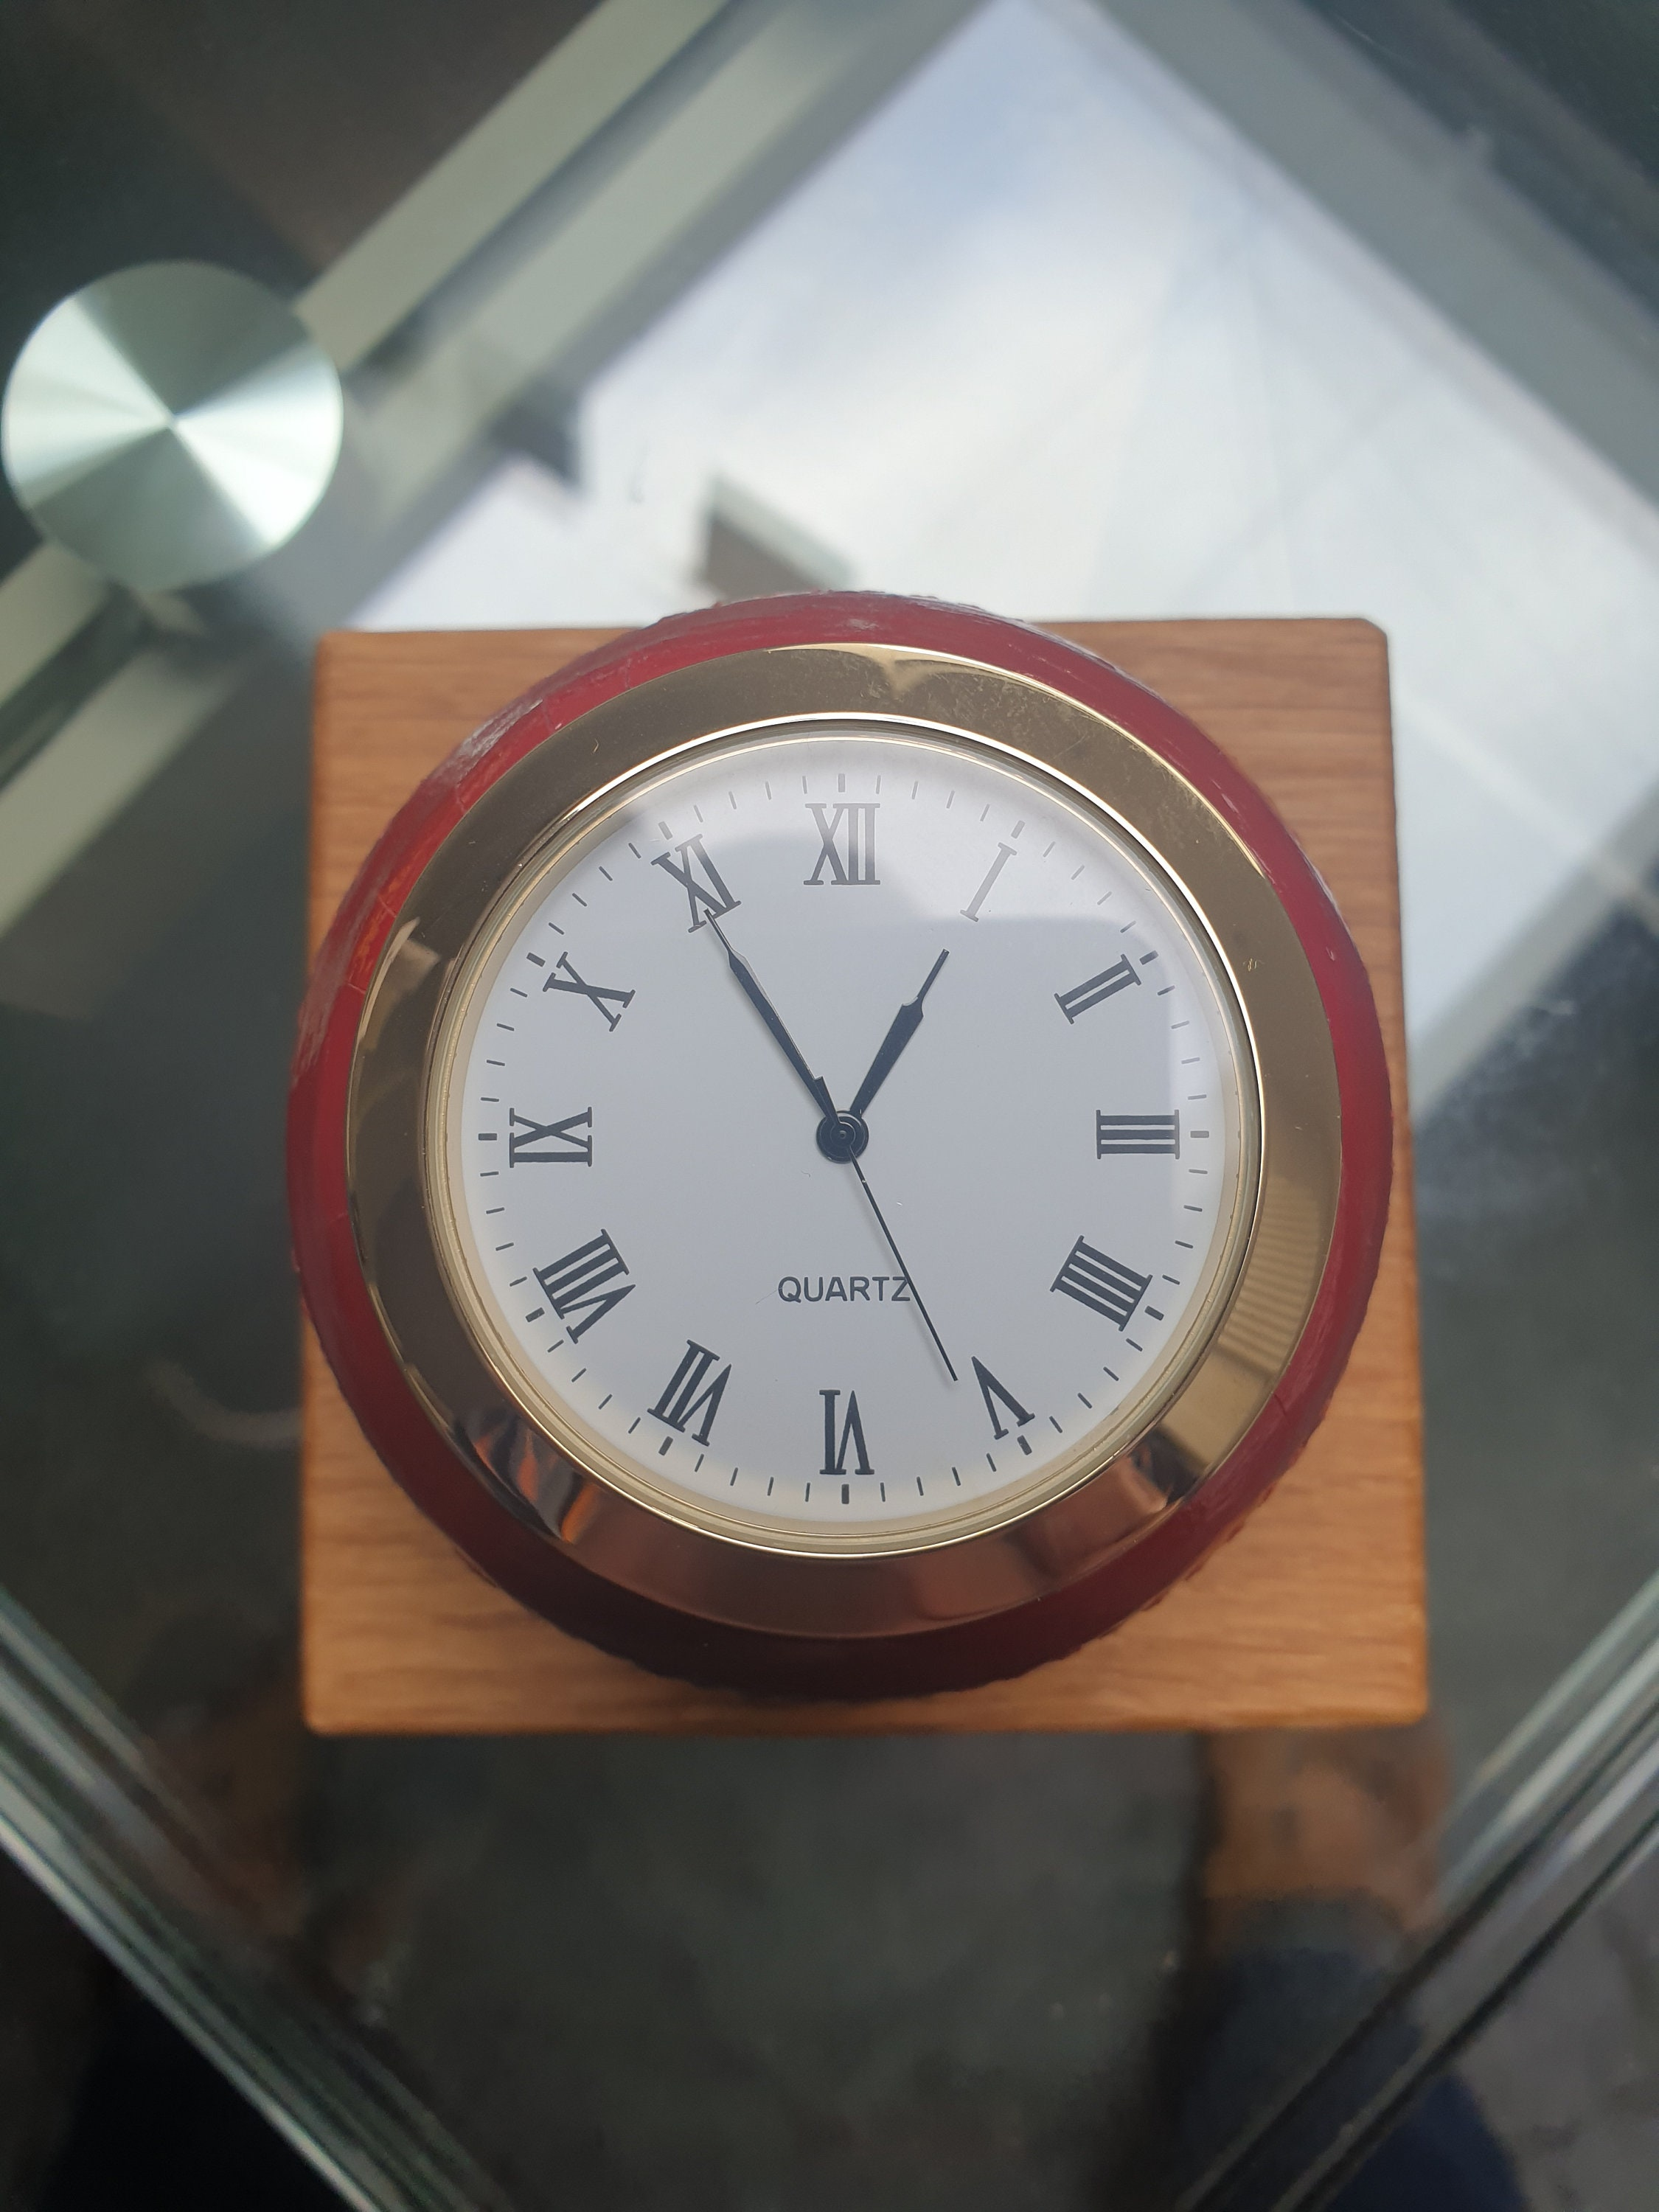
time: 12:54
